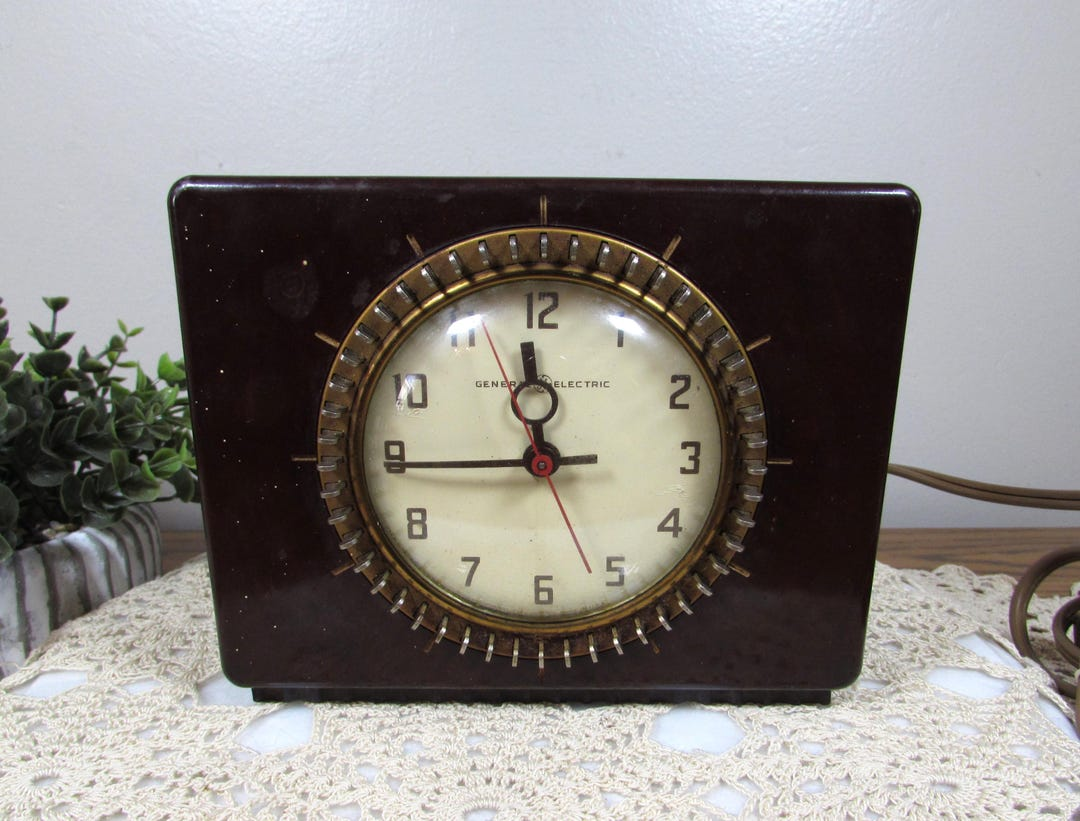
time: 11:44
